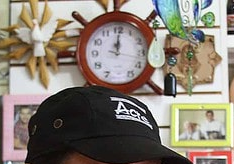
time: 12:00
